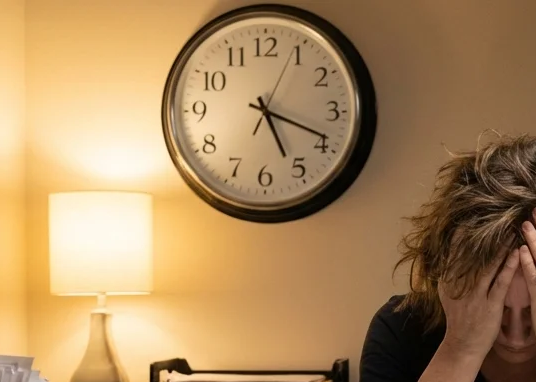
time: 5:18
